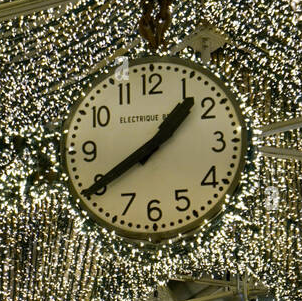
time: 1:39
